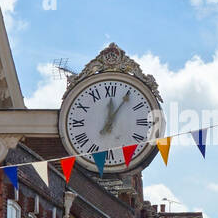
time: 12:05
